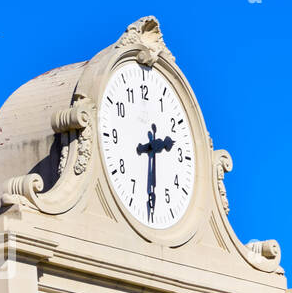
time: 2:30
